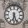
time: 6:26
